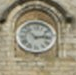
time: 2:52
